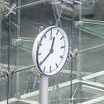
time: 12:39
